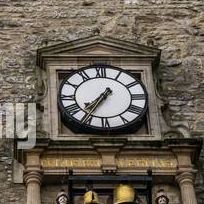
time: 7:35
